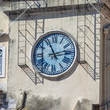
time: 11:12
